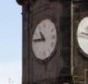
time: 10:45
